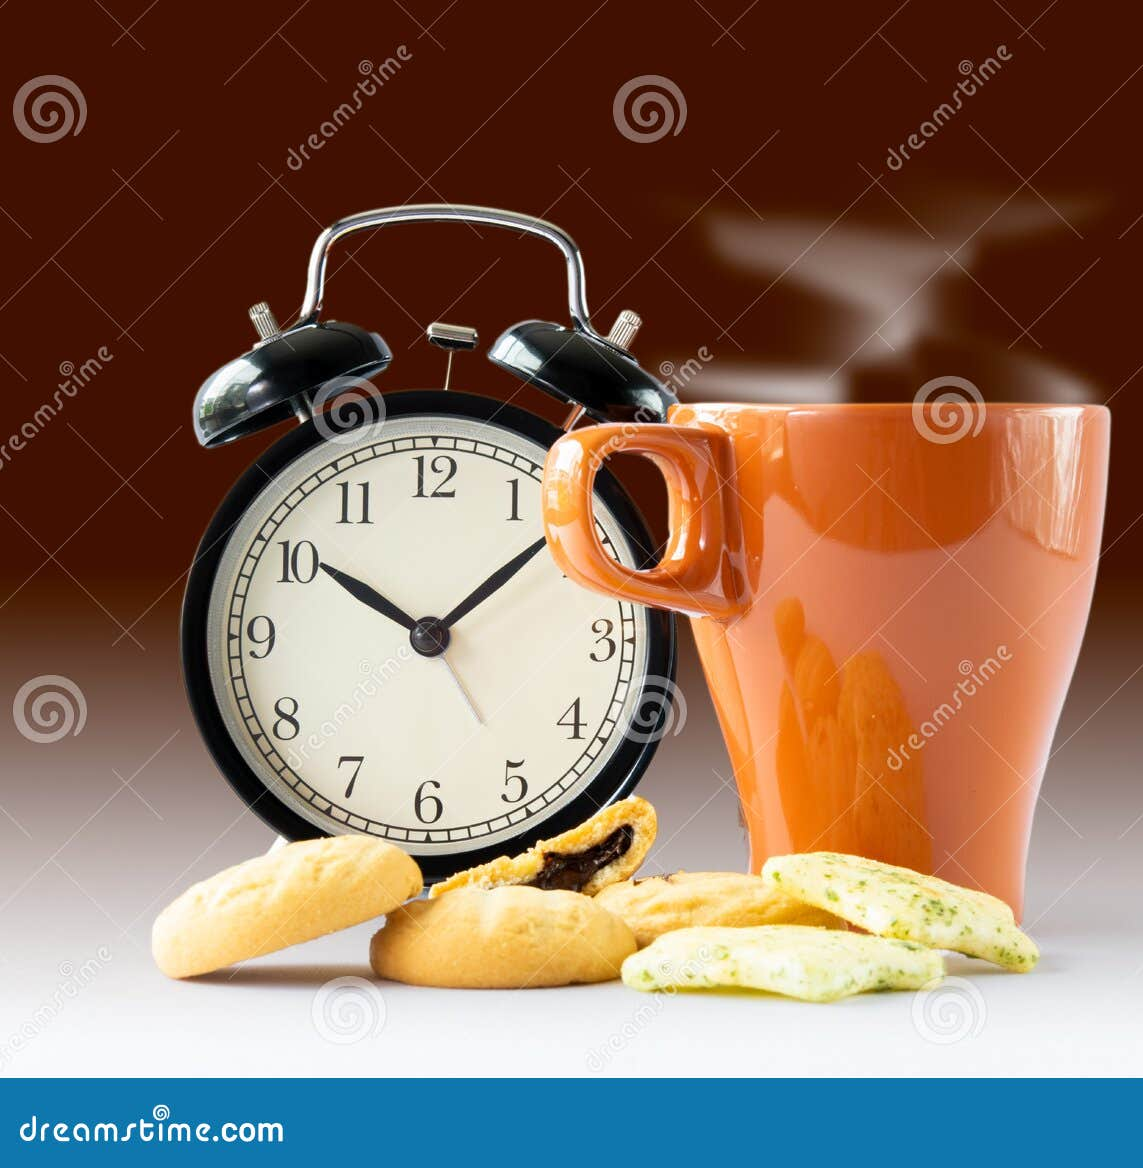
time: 10:08
